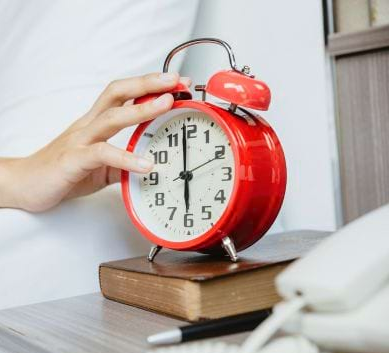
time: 6:00
